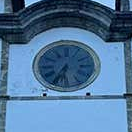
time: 6:34
